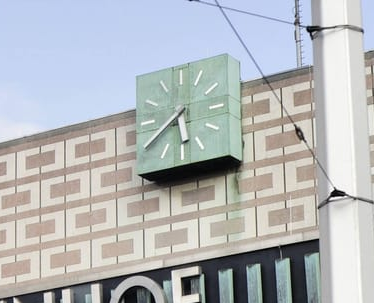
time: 5:39
